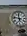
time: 11:46
